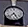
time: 7:25
